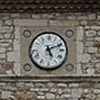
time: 5:11
